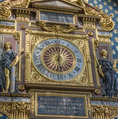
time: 5:59
